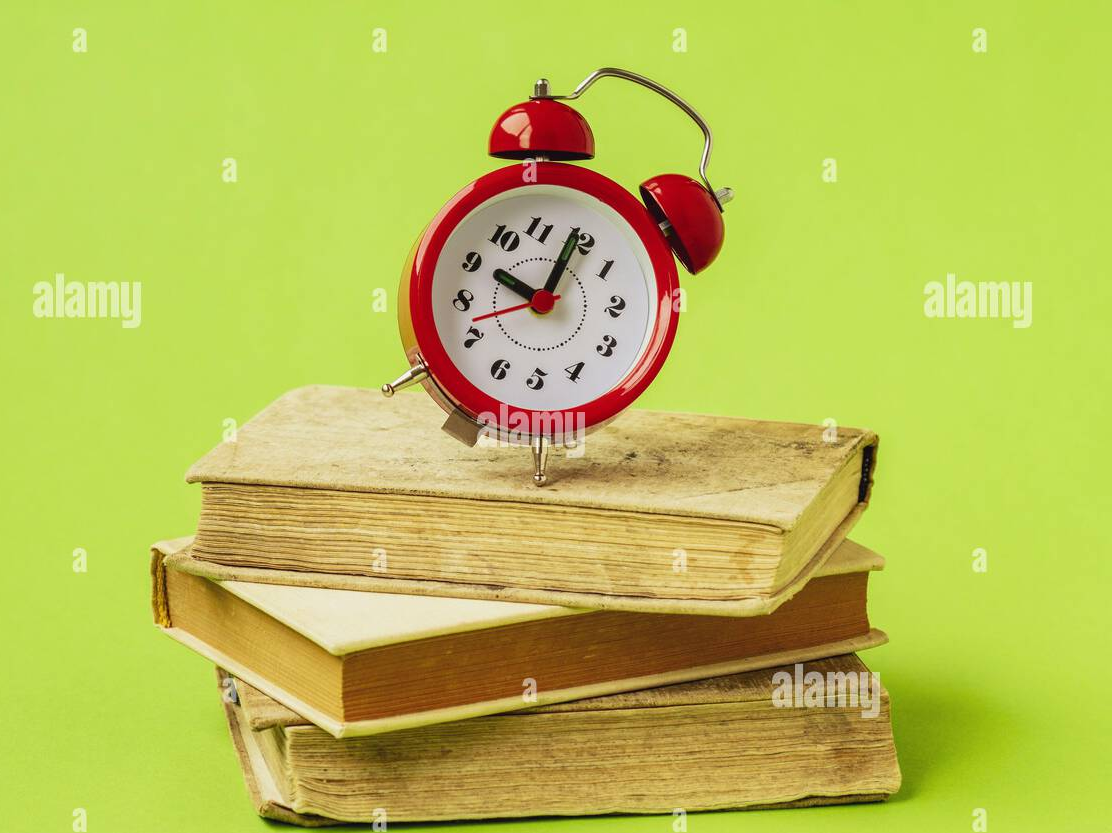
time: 10:04
